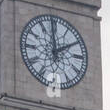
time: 1:59
